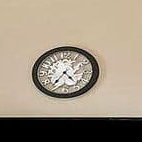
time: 4:36
